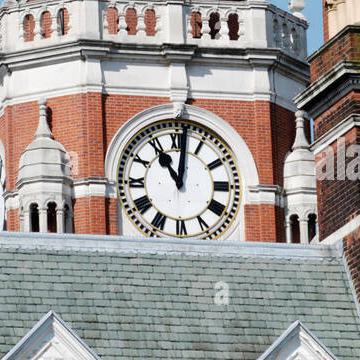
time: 11:01
